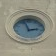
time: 2:57
